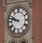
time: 9:47
